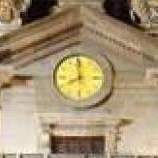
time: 7:59
